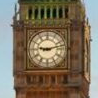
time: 9:12
